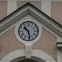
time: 10:28
